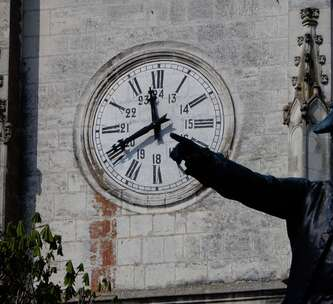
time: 11:40
